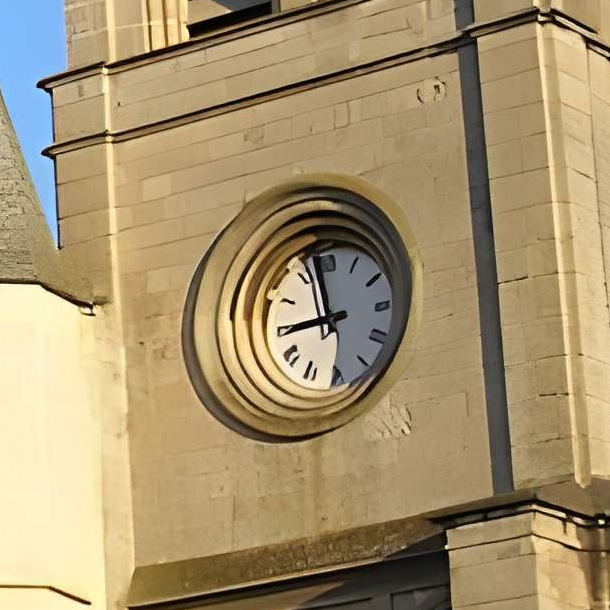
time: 8:58
